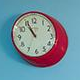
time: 10:55
